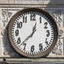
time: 12:37
